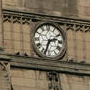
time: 2:33
